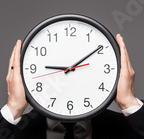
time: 9:09
